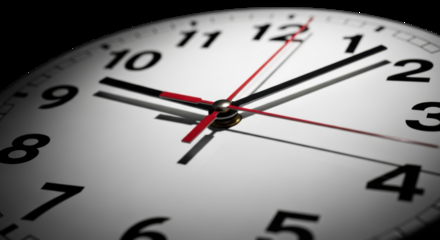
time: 10:07
